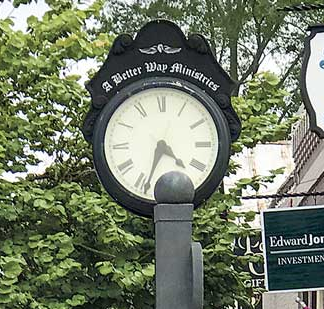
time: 4:33
